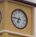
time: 6:46
